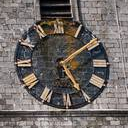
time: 5:08
